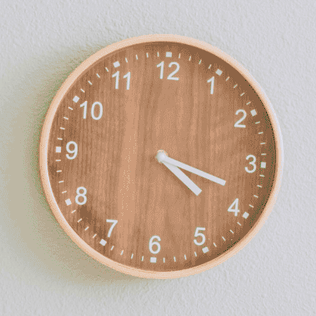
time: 4:18
